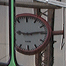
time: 9:13
